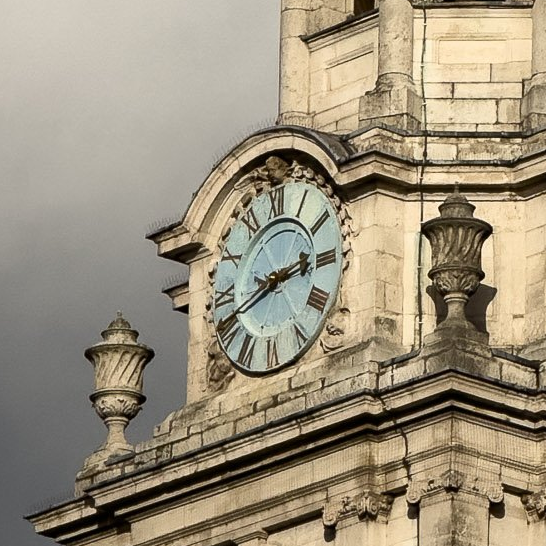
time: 2:40
